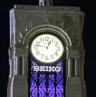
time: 12:47
